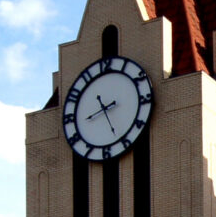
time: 8:25
